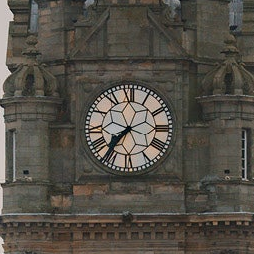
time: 7:36
